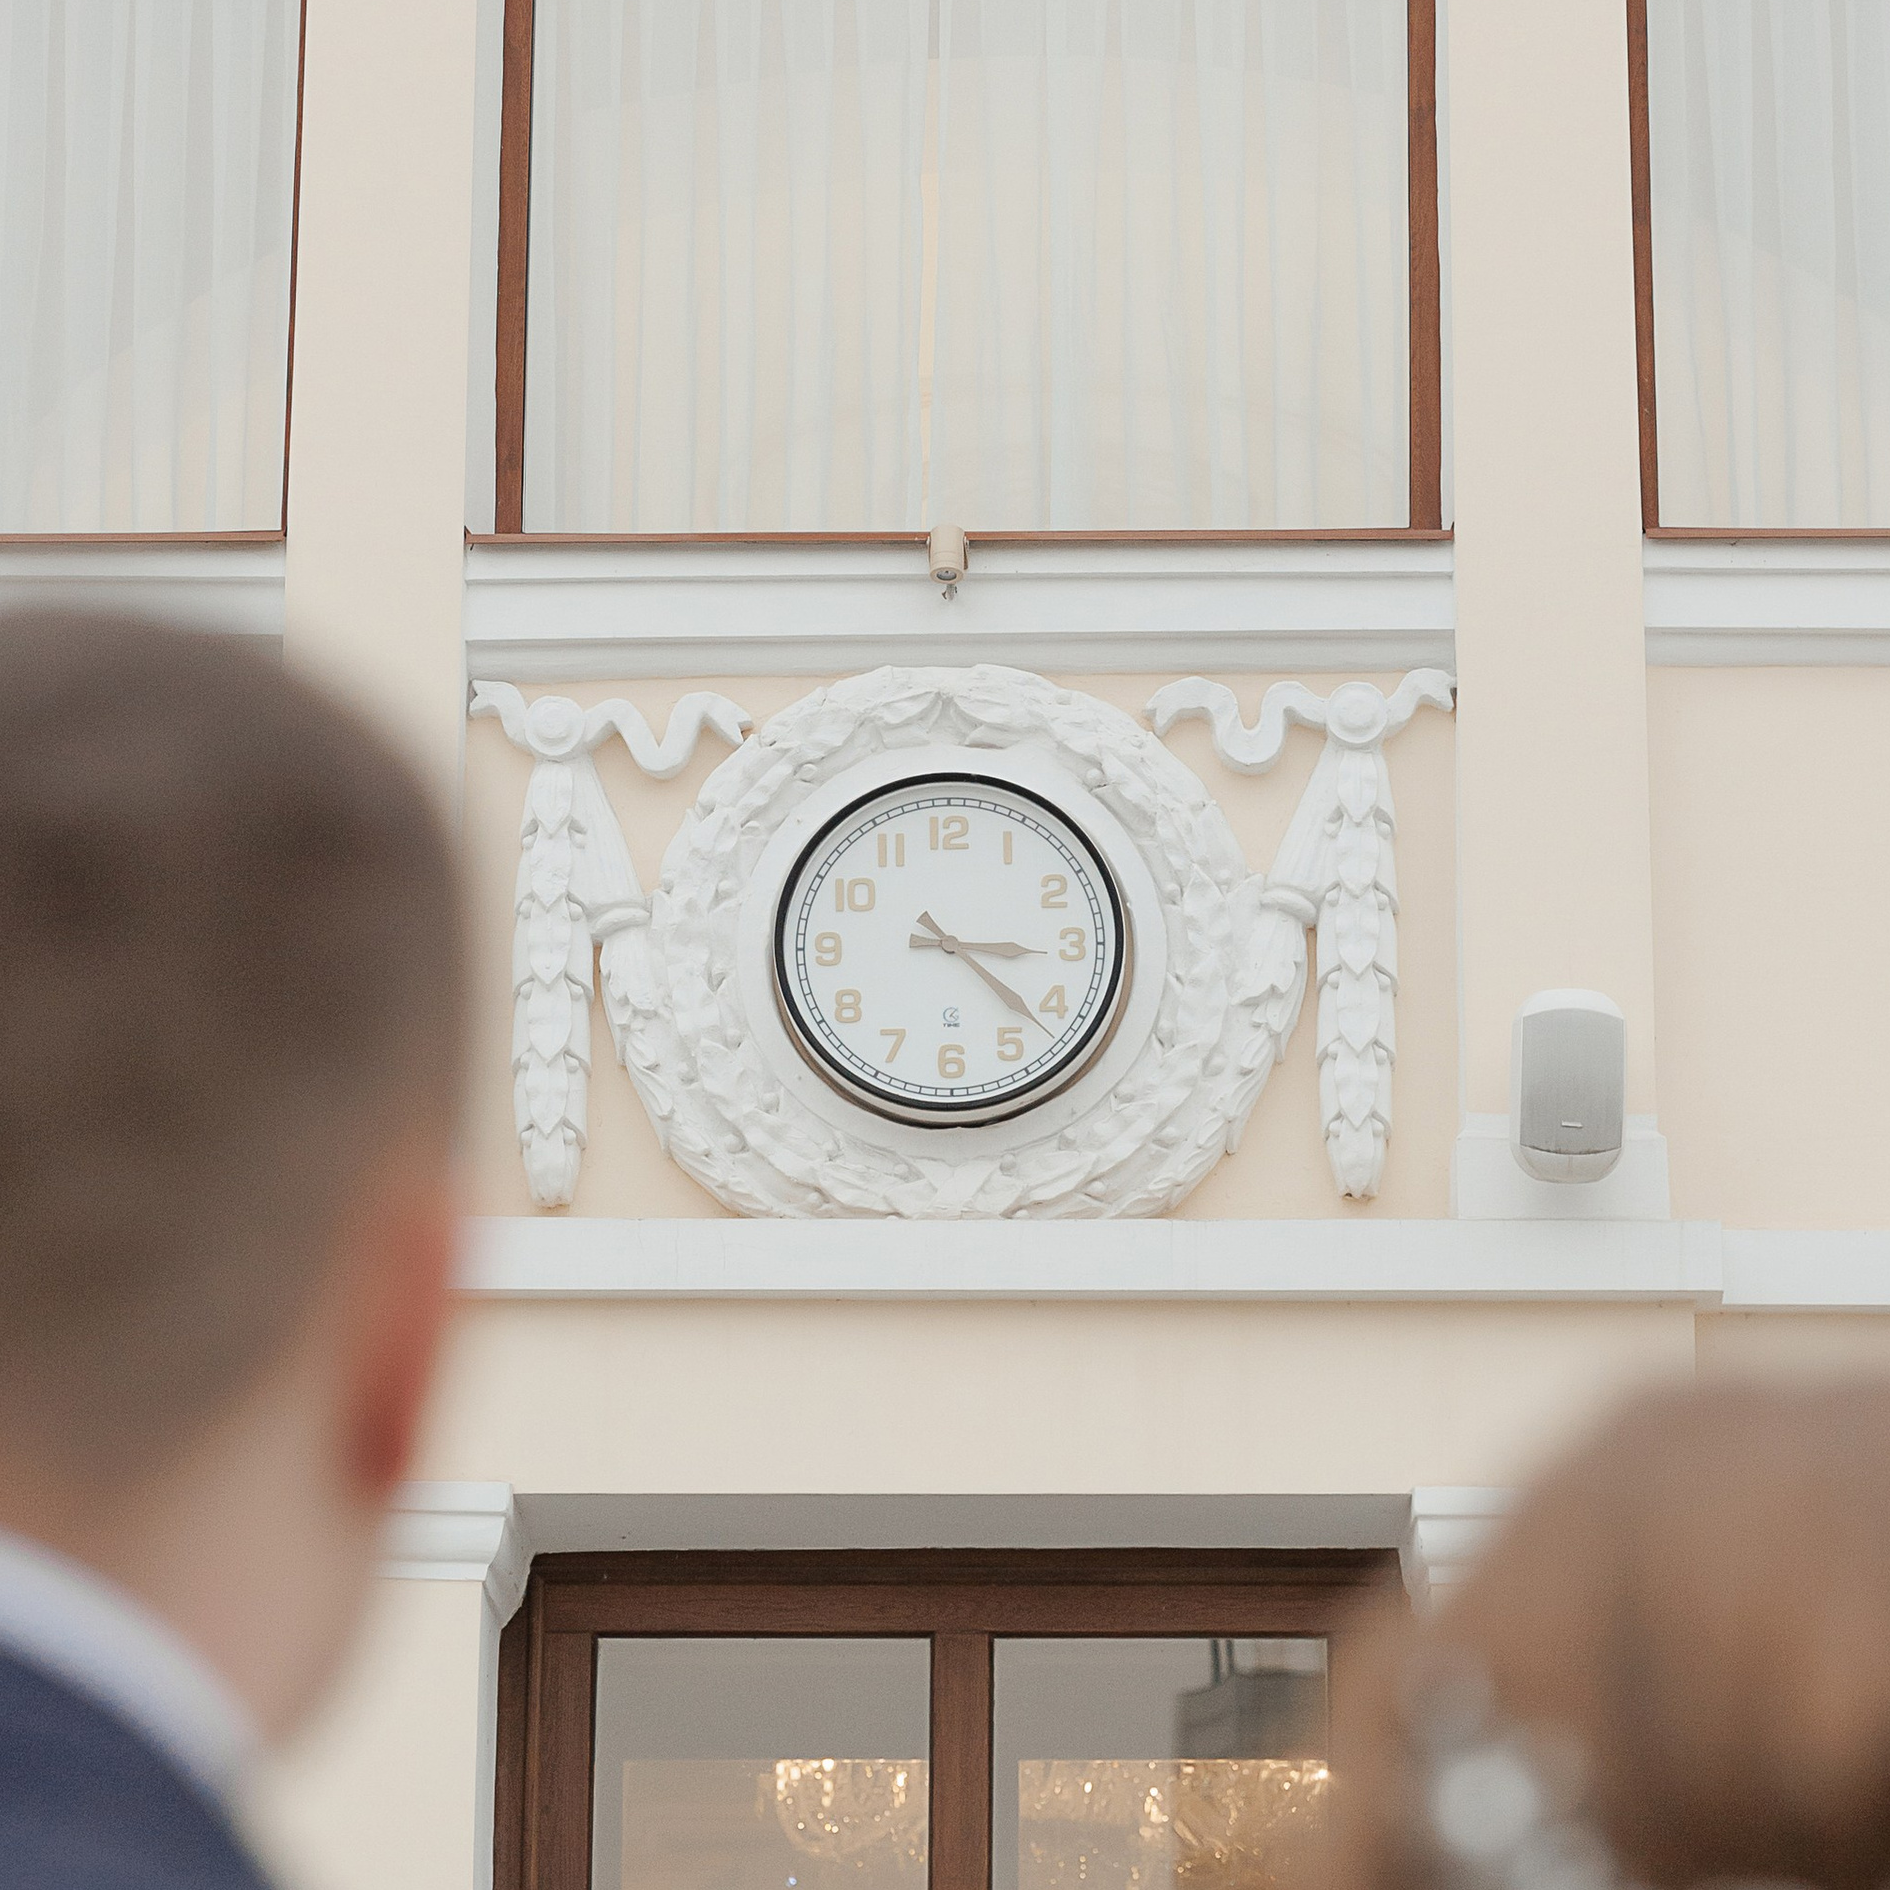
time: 3:22
